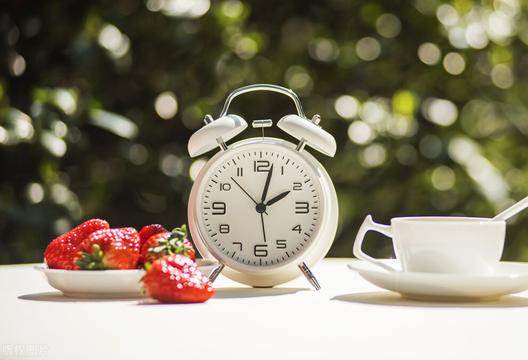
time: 2:02
